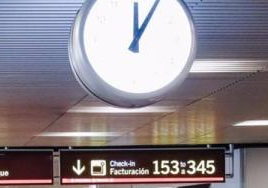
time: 12:04
